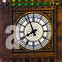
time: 7:55
